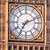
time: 7:11
